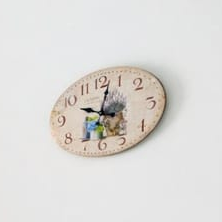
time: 10:02
